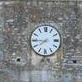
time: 7:45
